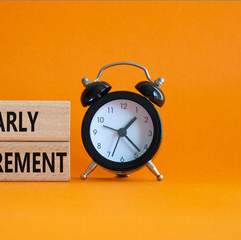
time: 1:22
